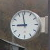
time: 8:58
